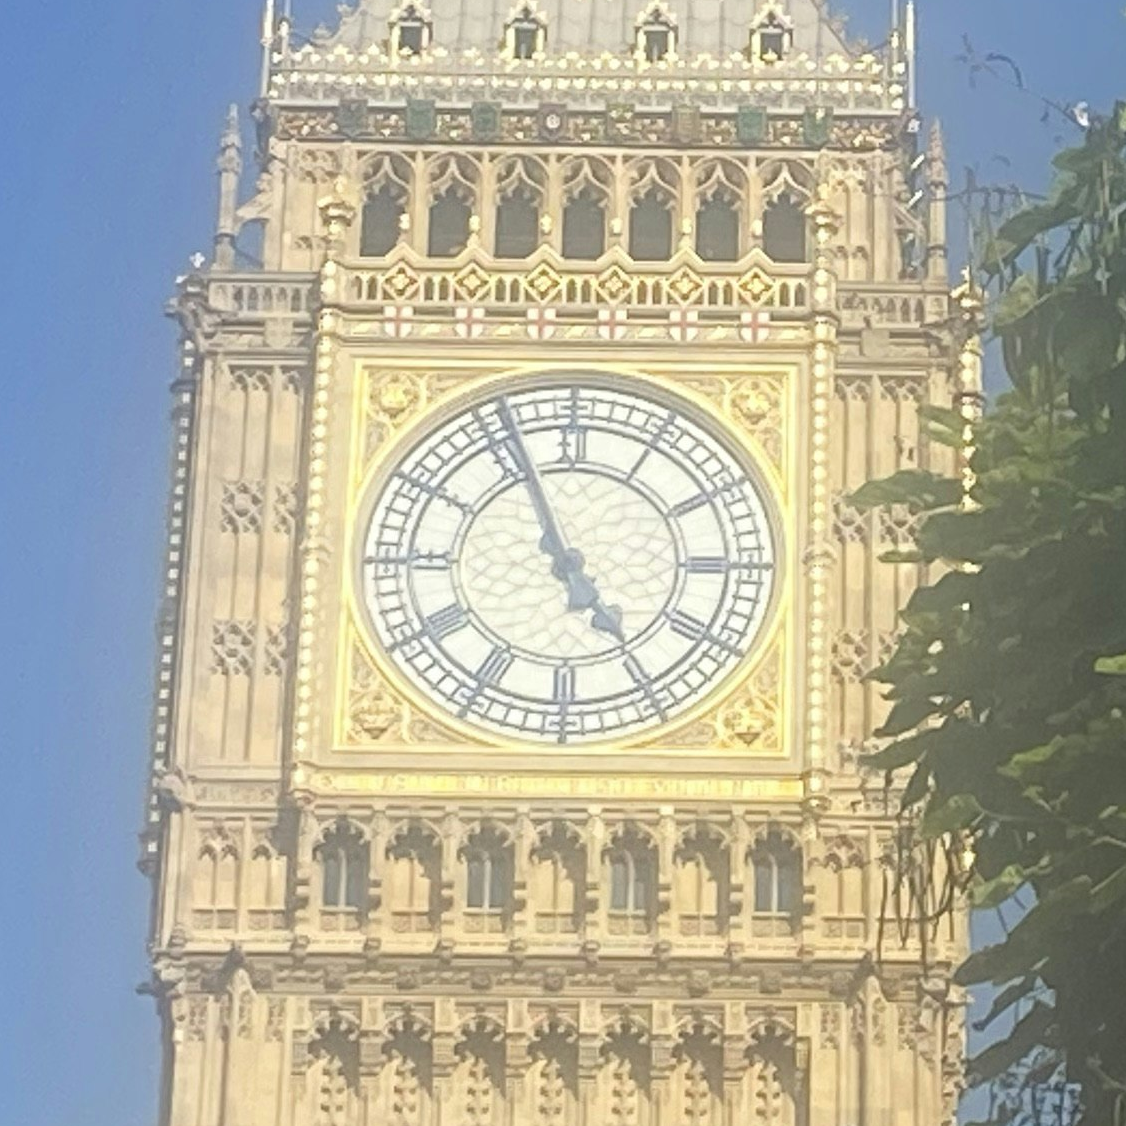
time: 4:56
